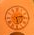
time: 2:29
